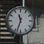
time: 11:33
